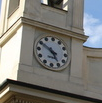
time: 4:50
